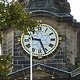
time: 9:26
